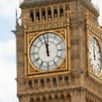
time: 11:57
